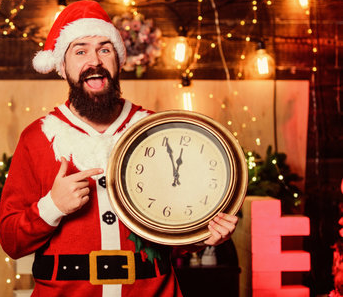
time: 11:55
